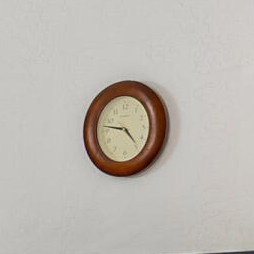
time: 4:46
